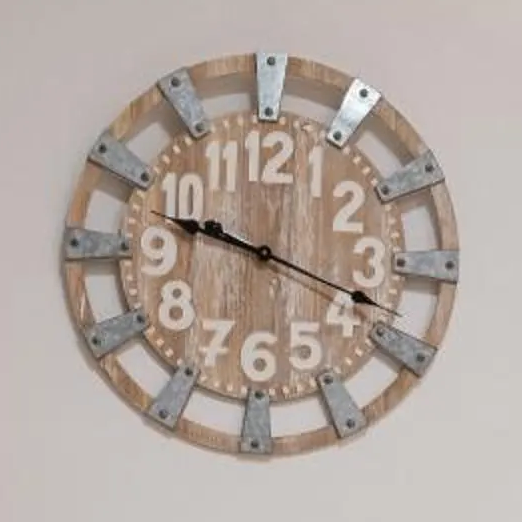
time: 9:17
